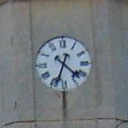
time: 4:33
